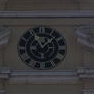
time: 11:07
